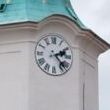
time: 2:22
